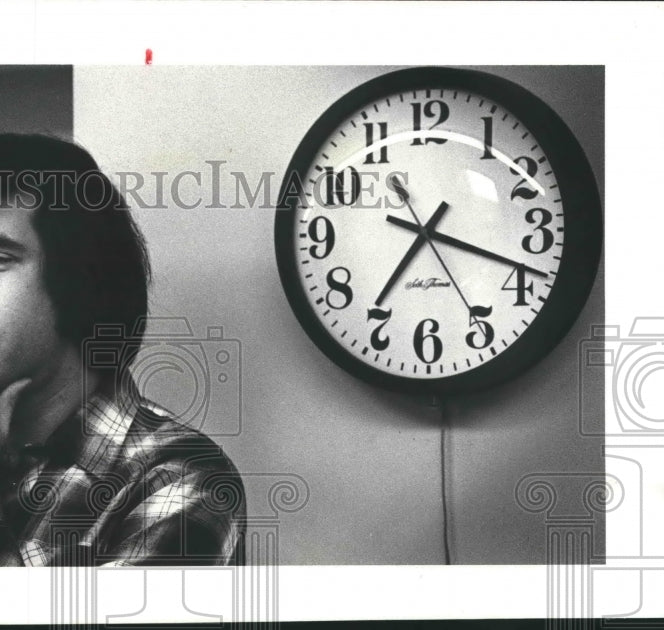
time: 7:18
